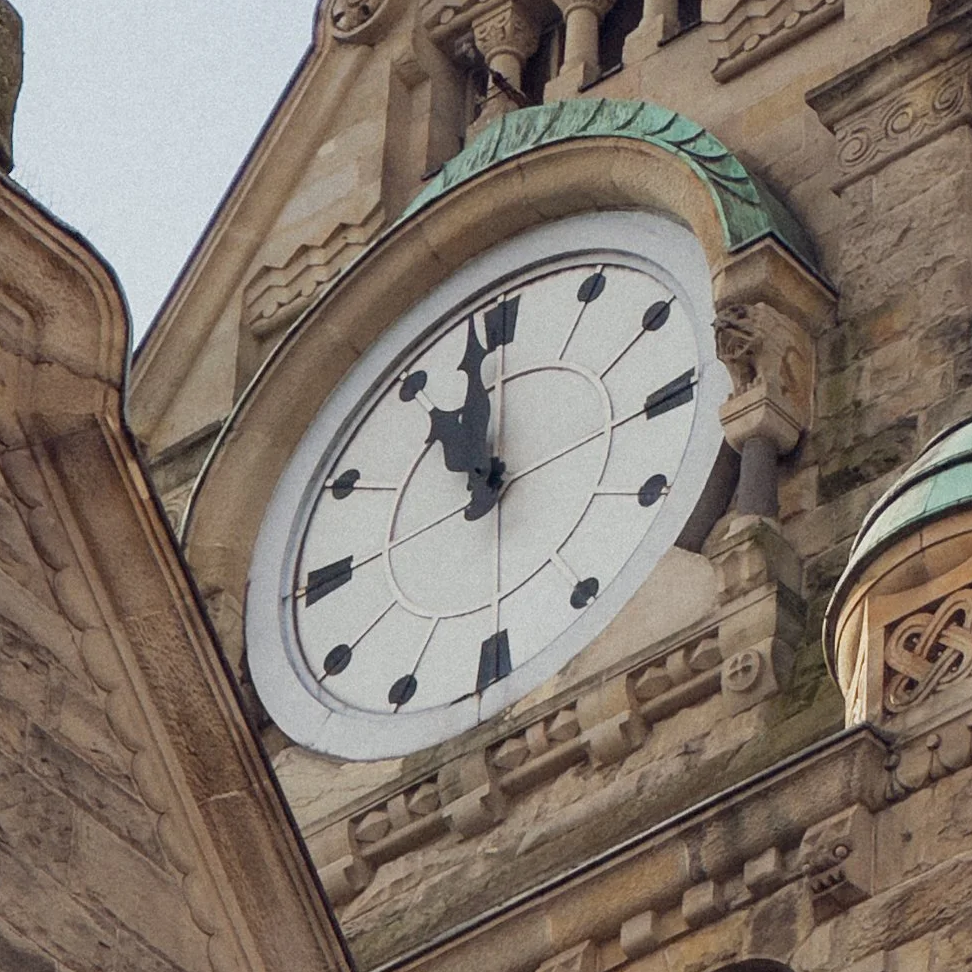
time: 10:58
